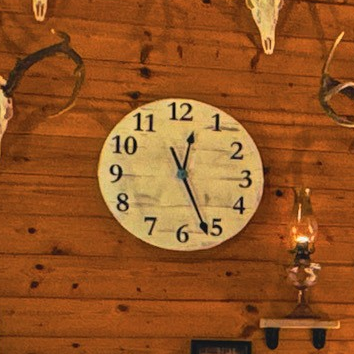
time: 12:26
